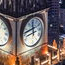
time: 11:42
